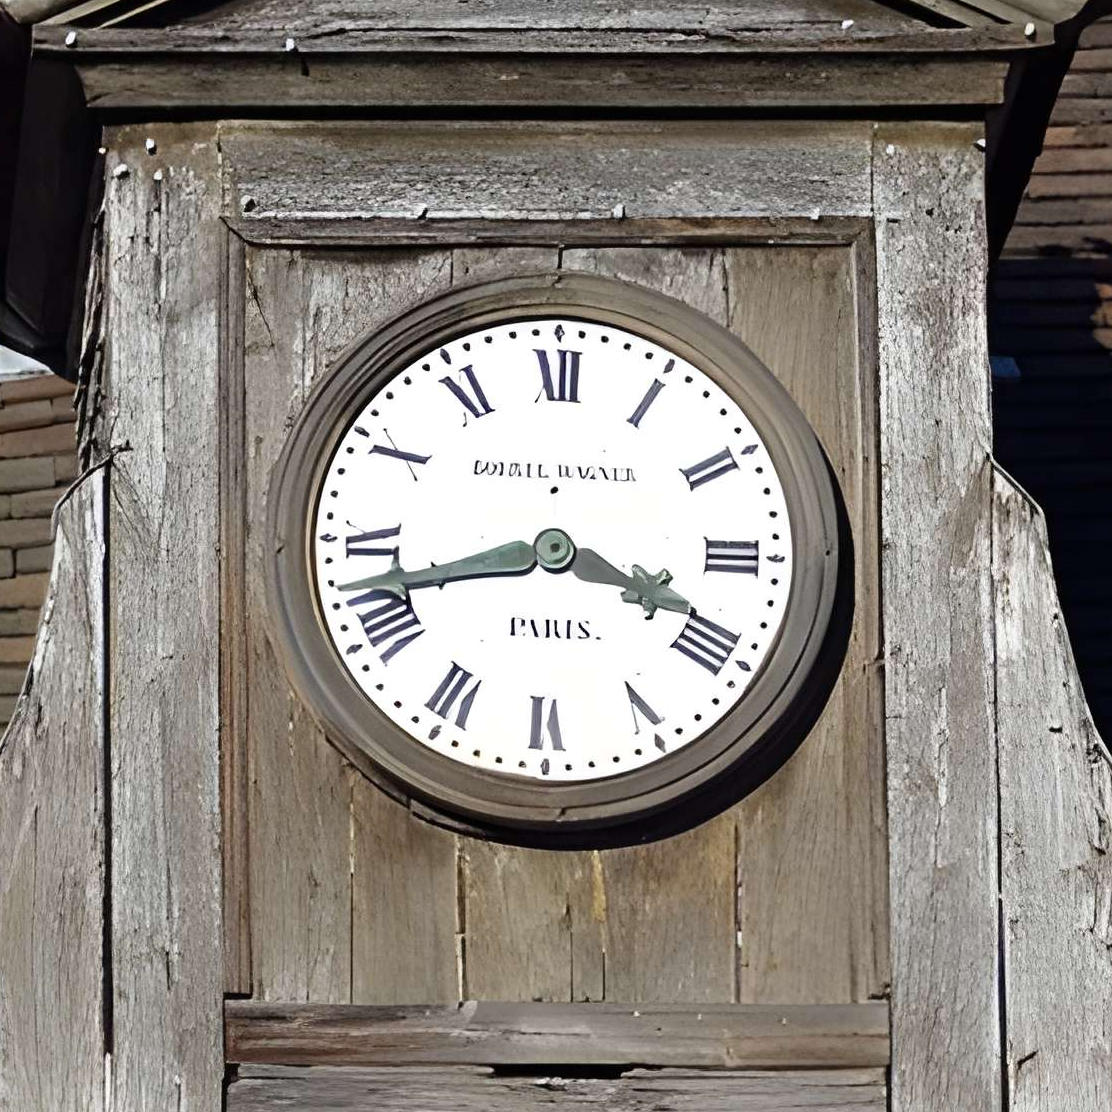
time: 3:42
